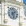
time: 1:28
